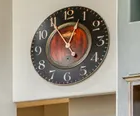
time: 12:54
